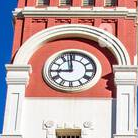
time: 8:58
